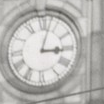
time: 3:02
